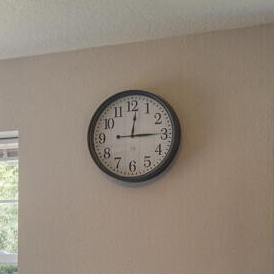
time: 12:14
